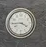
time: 3:44
